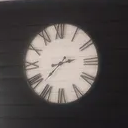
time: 2:37
